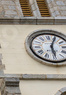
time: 5:03
